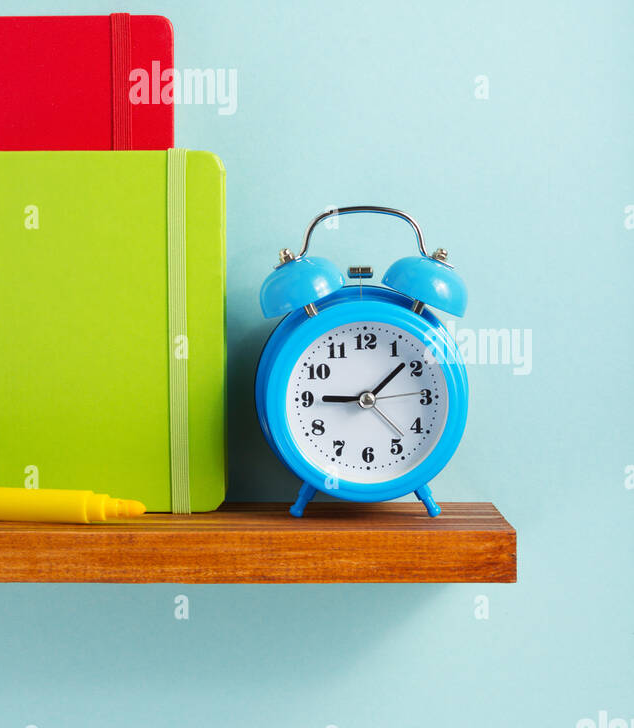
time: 9:08
